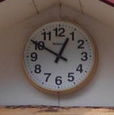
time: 12:50
